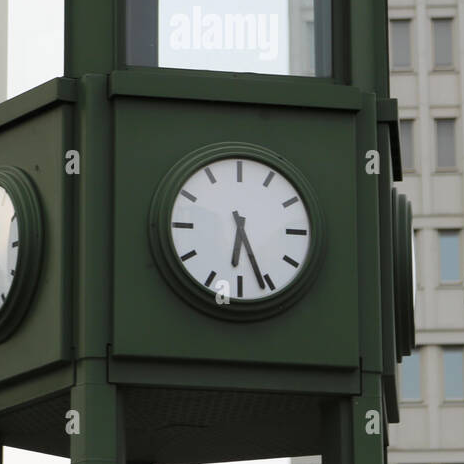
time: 6:26
